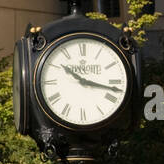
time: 10:17
